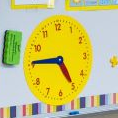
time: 4:45
